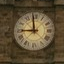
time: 8:59
